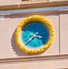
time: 3:37
